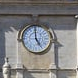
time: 4:59
